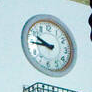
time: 9:44
